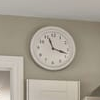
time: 11:17
